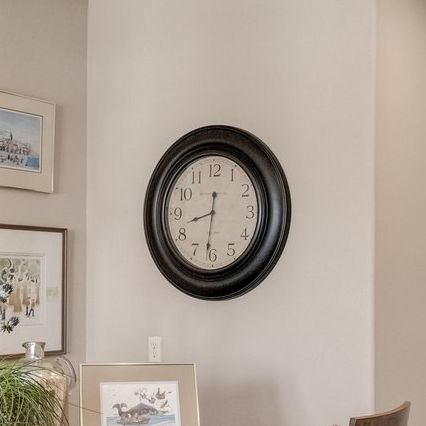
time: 8:31
